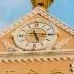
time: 5:14
